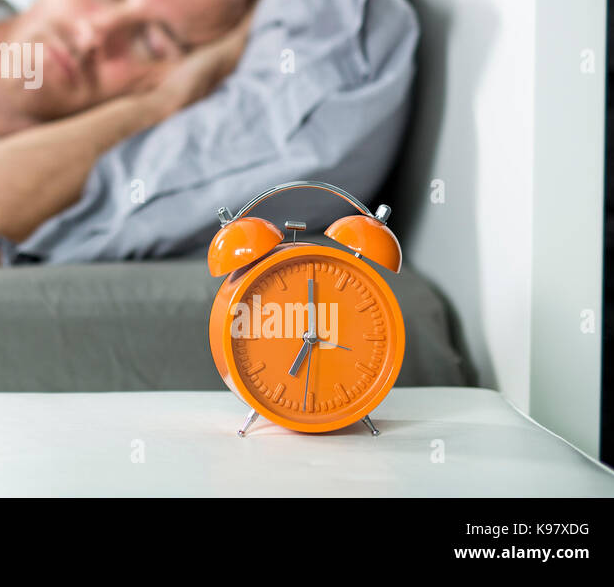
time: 6:59
